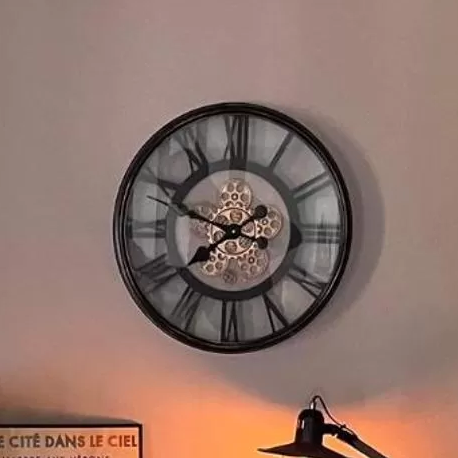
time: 7:48
